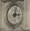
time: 3:02
